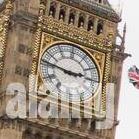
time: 2:46
